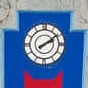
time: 2:09
